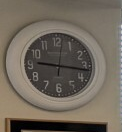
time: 9:16
